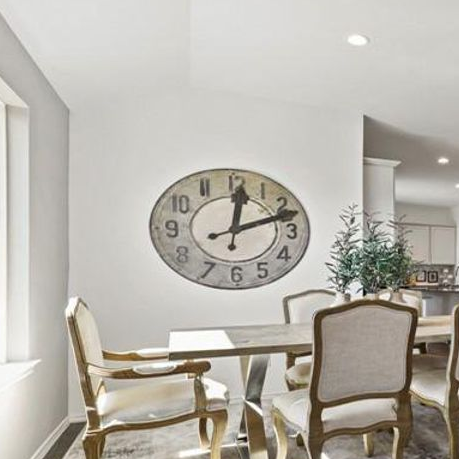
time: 12:12
